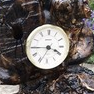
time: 3:44
